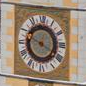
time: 3:48
